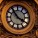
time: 3:54
